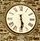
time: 5:29
